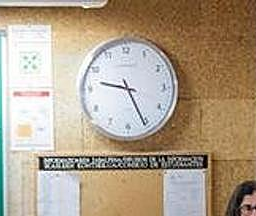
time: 9:26
